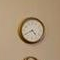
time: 4:40
